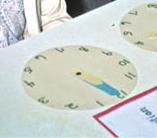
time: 4:20
